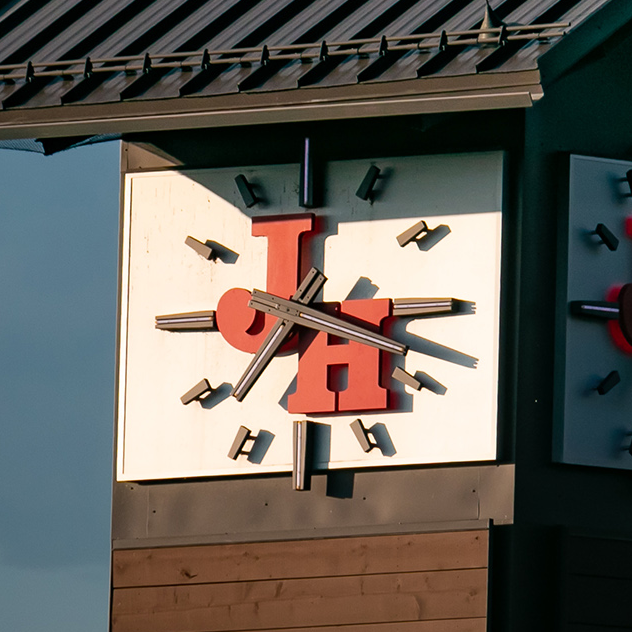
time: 7:17
